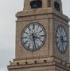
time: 3:28
